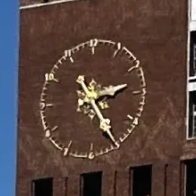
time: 2:25
